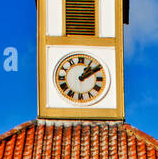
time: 1:09
